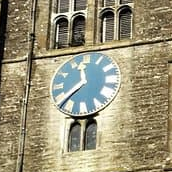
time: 11:37
